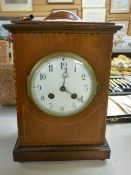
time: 4:01
